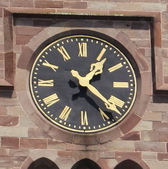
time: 1:21
